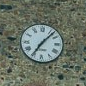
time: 7:07
